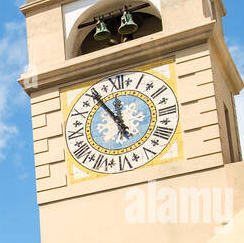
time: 11:53
